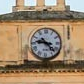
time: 9:22
